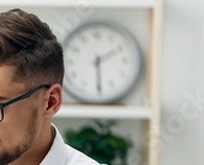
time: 2:29
